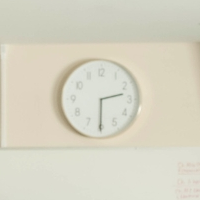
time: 2:30
